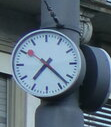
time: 7:22
